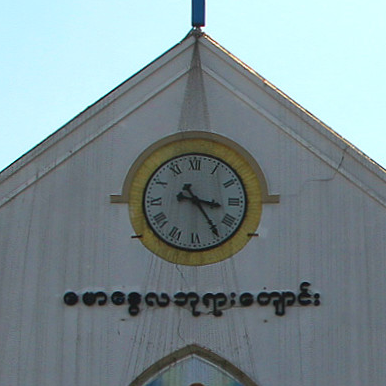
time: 3:24
